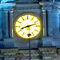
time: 8:12
